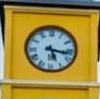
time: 5:16
